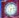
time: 6:13
